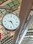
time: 9:25
